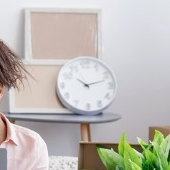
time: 10:12
